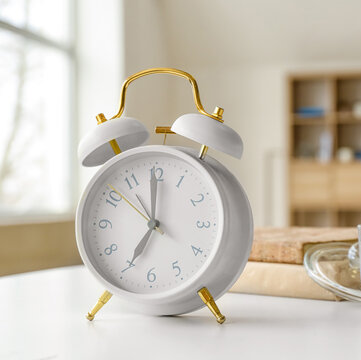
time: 6:59
